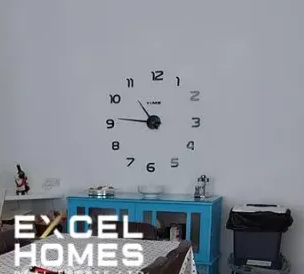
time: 10:46
